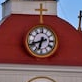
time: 6:41
